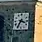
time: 3:35
